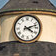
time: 4:12
